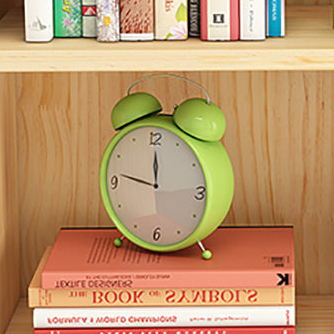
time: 11:46
